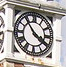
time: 3:53
